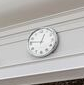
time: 12:46
